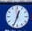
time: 12:33
